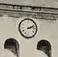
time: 2:11
